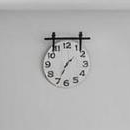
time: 1:34
